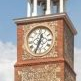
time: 12:33
